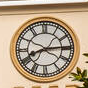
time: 8:14
